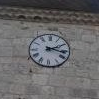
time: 2:17
